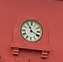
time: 11:19
